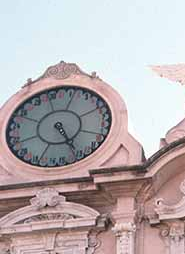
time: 5:26
